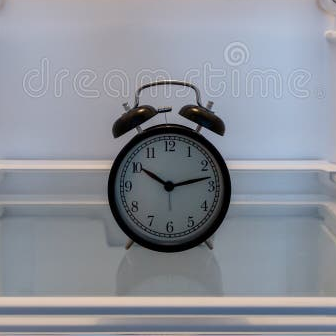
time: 10:13
